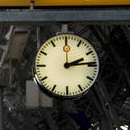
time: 2:14
